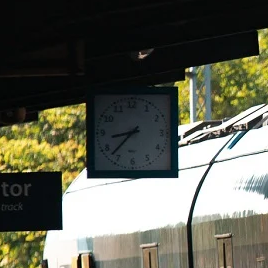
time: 8:37
